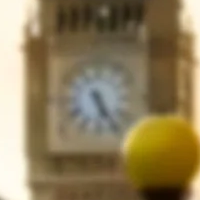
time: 5:24
